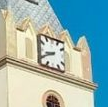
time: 8:40
